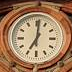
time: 7:01
